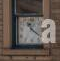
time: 11:22
